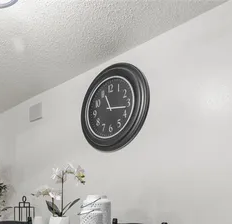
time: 11:16
